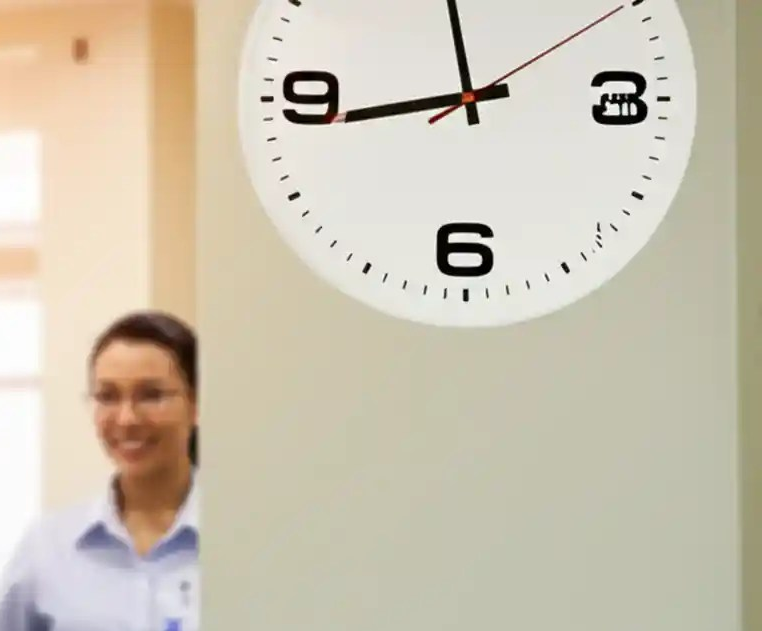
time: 11:43
